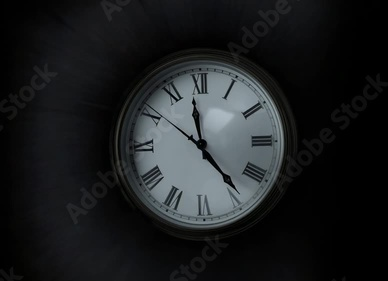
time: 11:23
